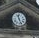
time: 11:26
